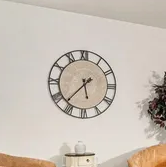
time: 5:37
